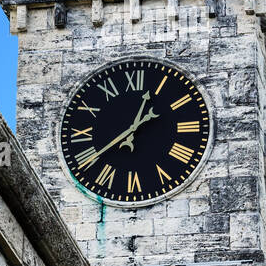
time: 12:39
